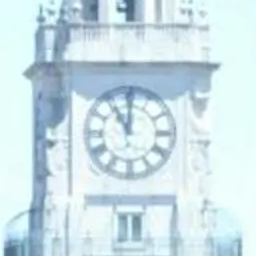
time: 11:00
